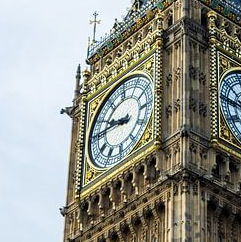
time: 9:45
